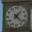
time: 1:22
